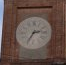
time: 2:34
